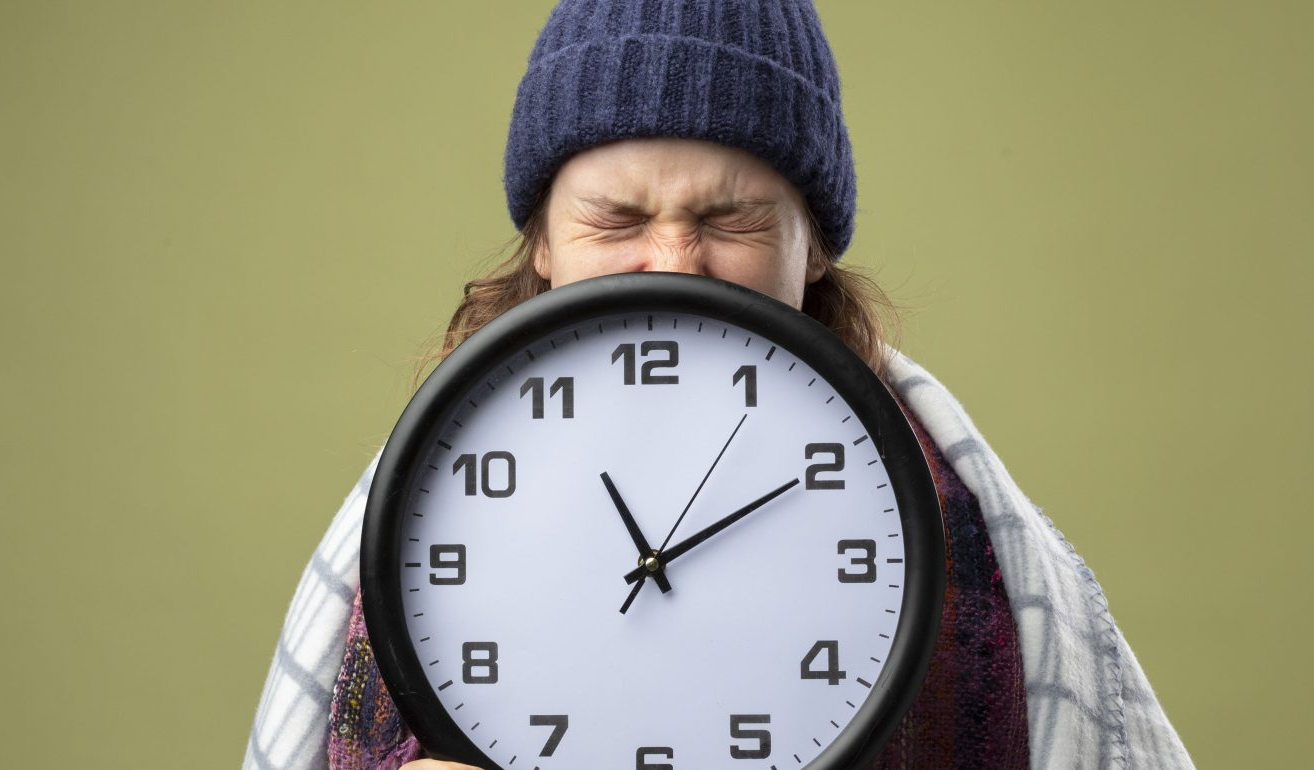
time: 11:10
